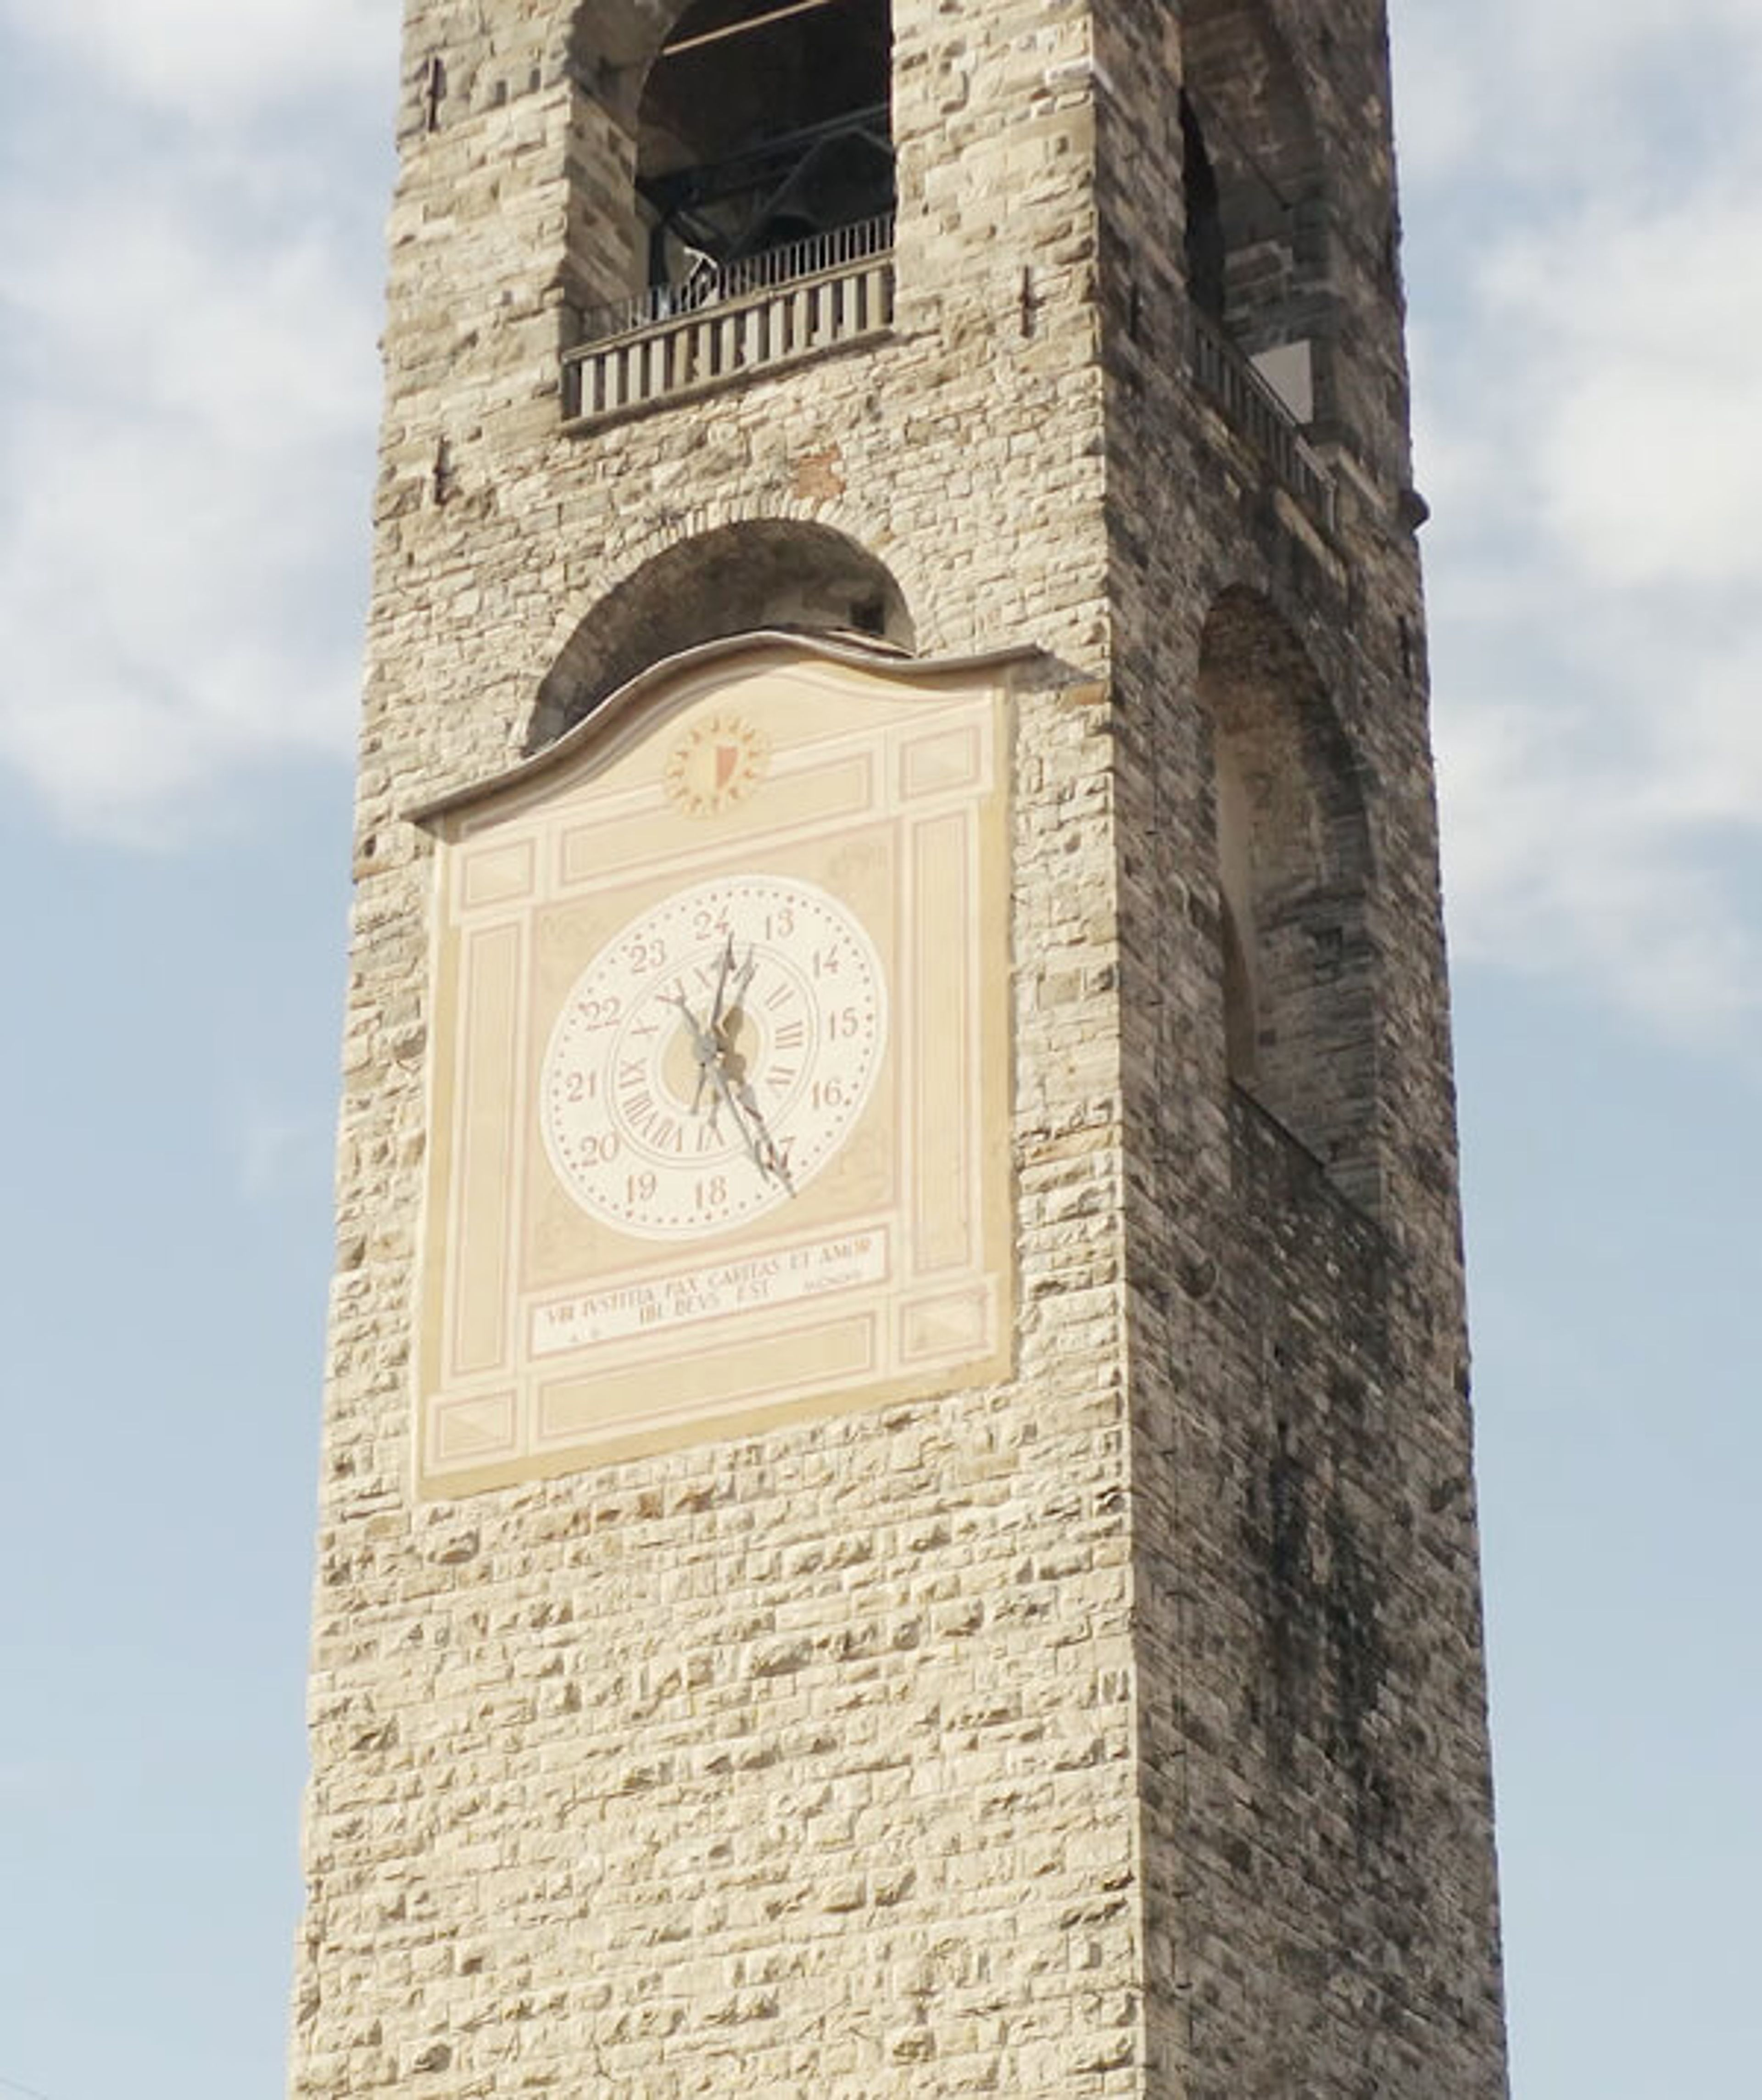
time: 12:24
